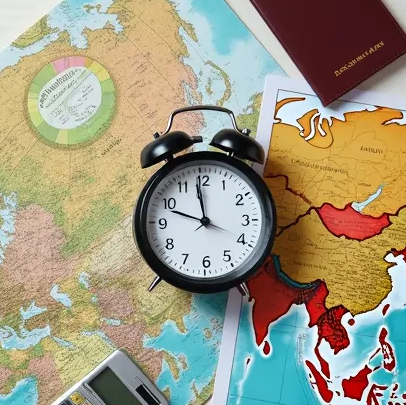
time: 11:48
